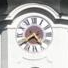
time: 4:39
